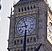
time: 8:56
